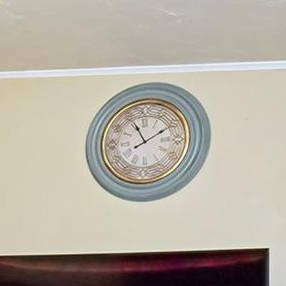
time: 11:09
